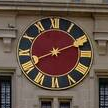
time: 8:11
